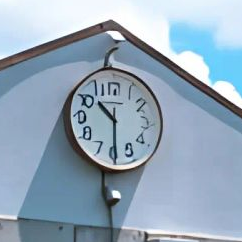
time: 10:29
